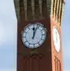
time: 12:03
